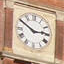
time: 2:50
